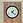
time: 1:22
